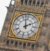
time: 1:58
